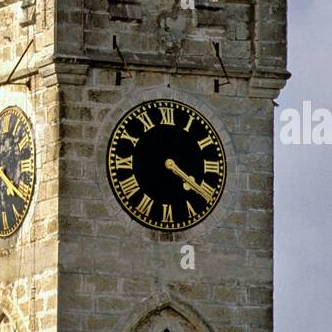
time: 4:20
